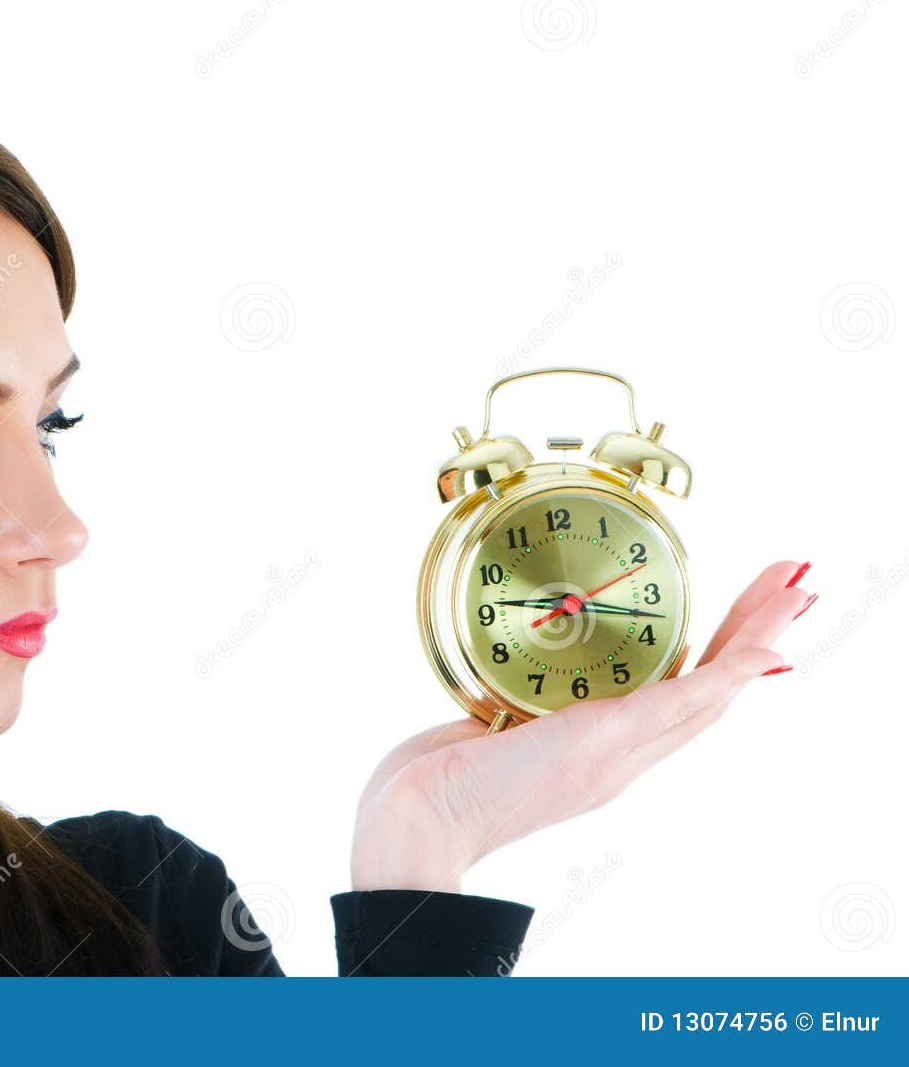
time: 9:17
